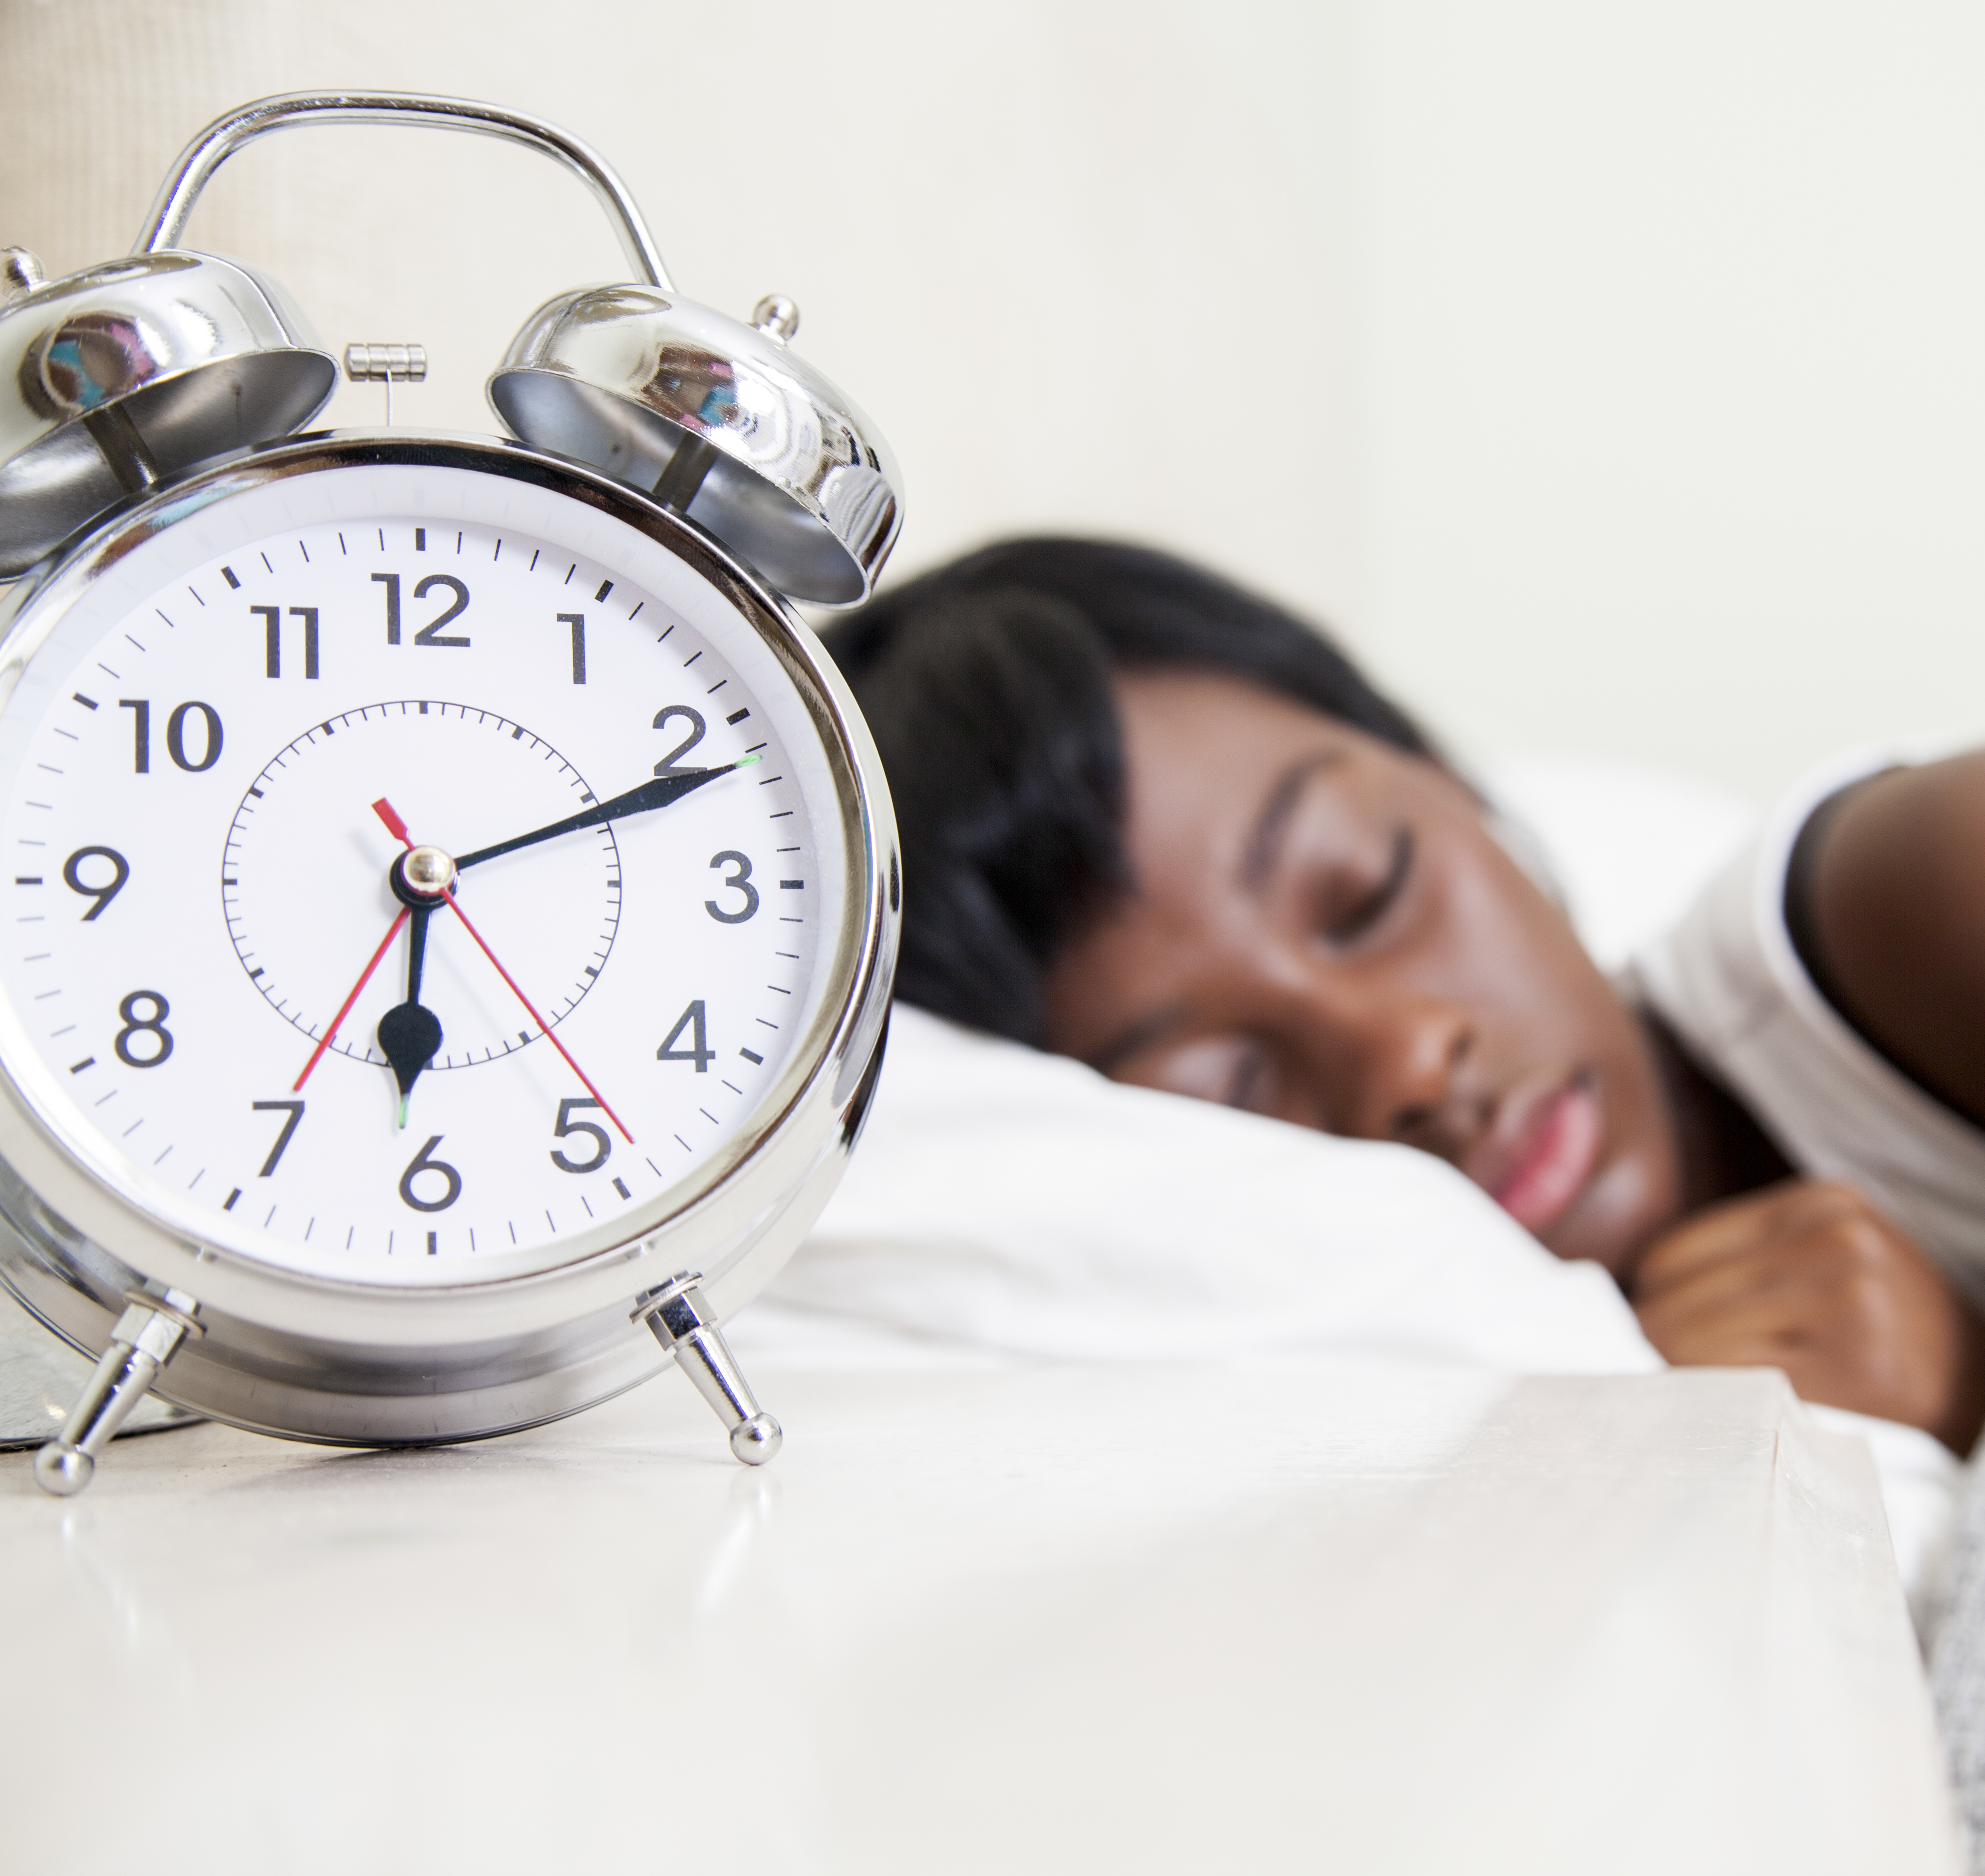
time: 6:11
